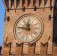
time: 11:46
